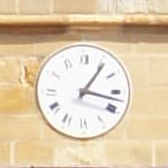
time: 1:17
